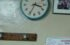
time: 3:34
